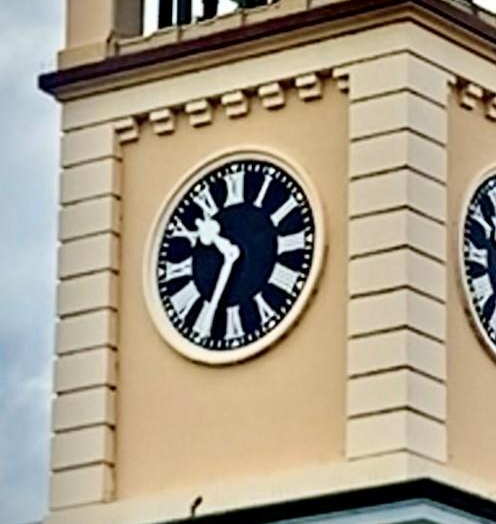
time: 10:34
